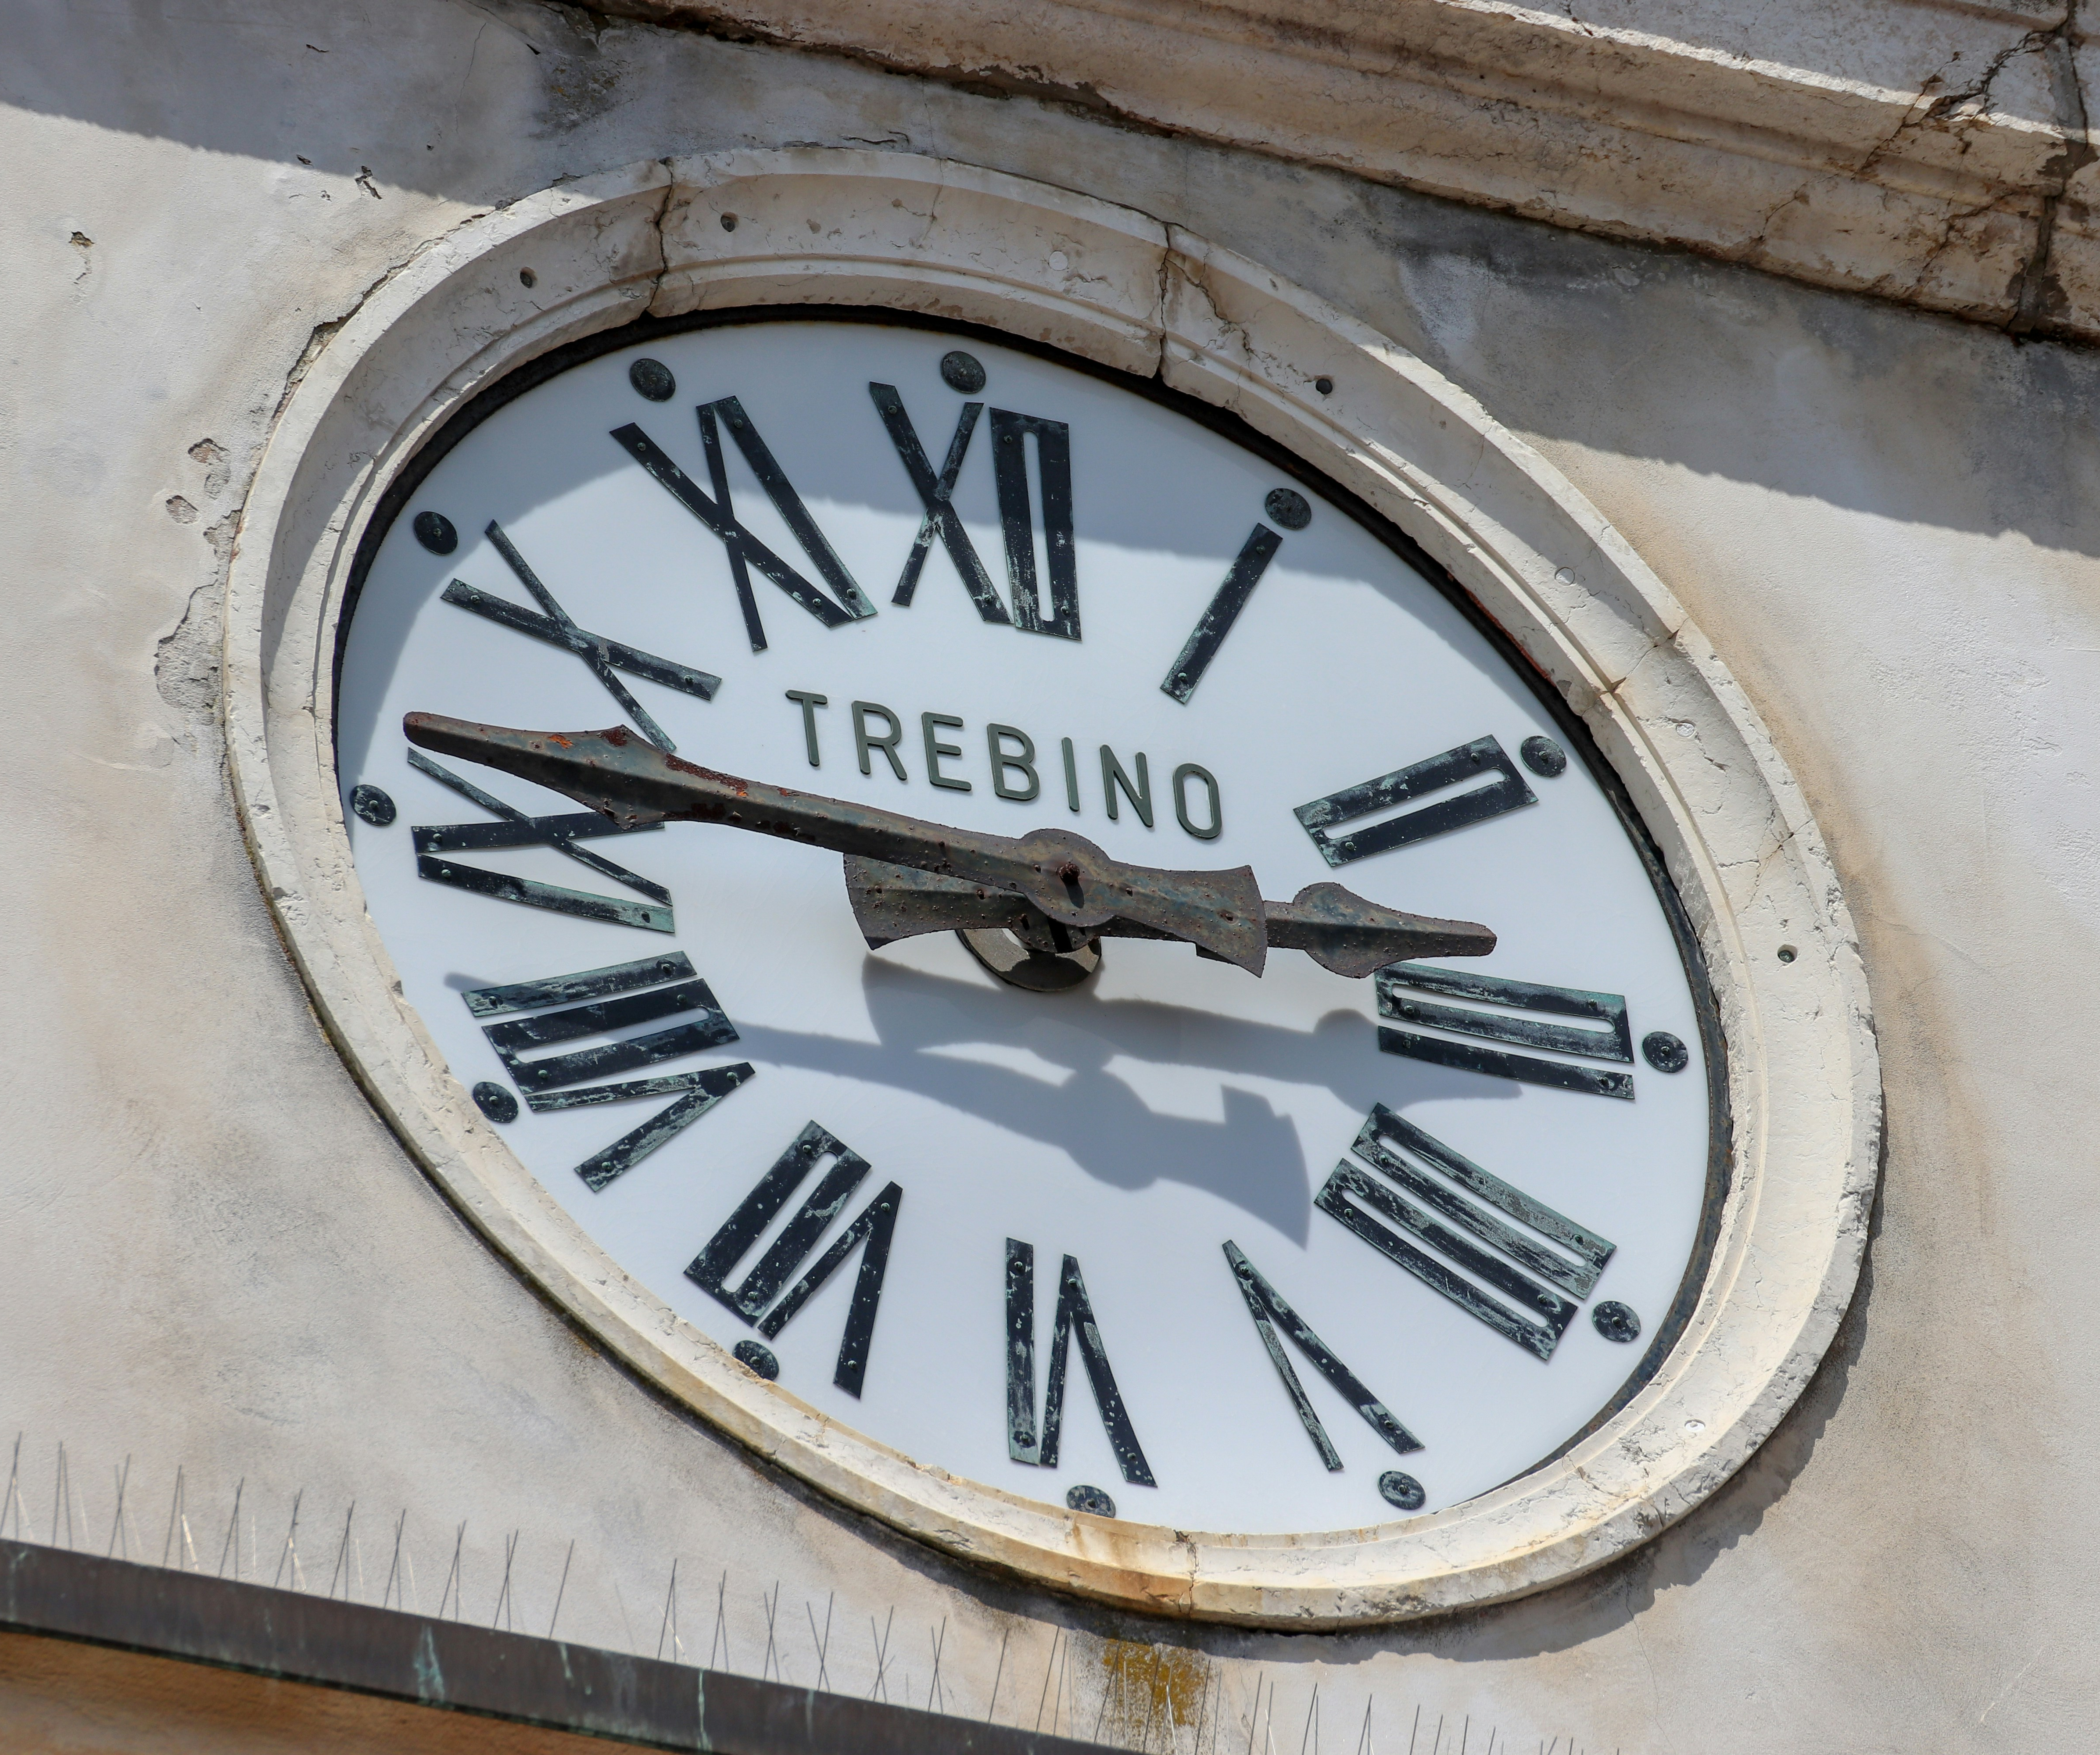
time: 2:46
